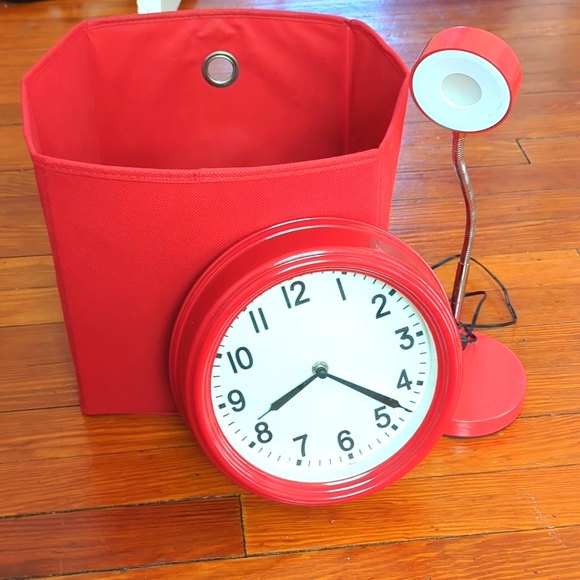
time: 8:22
